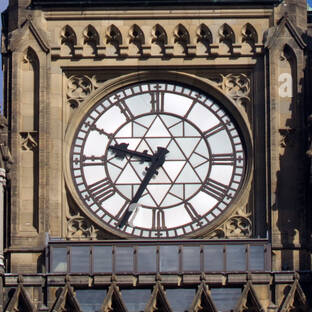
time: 9:34
